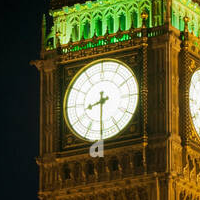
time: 8:30
